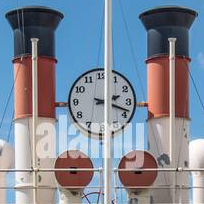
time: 2:18
